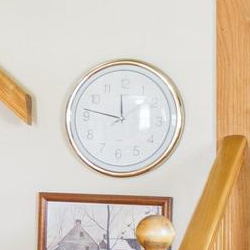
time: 11:46
